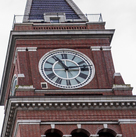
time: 11:13
